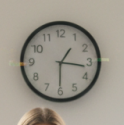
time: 1:16
